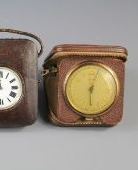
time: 6:03
